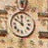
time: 11:50
